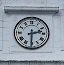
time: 2:30
